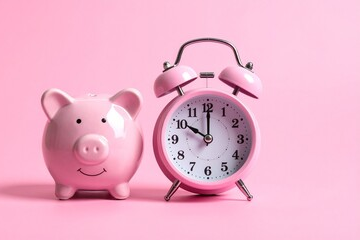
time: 10:00
